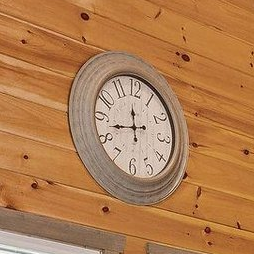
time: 11:42
